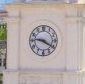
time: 9:20
